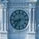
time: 8:36
